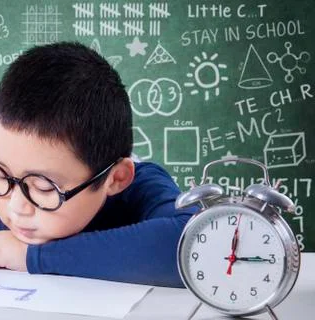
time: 12:14
